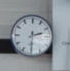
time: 2:30
